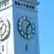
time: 1:32
